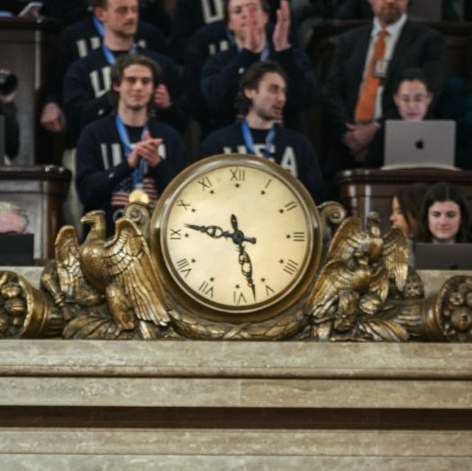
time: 9:27
